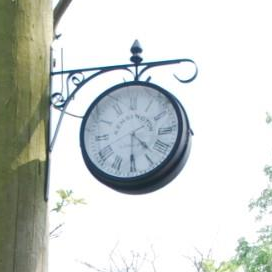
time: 4:30
